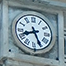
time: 8:26
